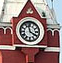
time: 3:57
